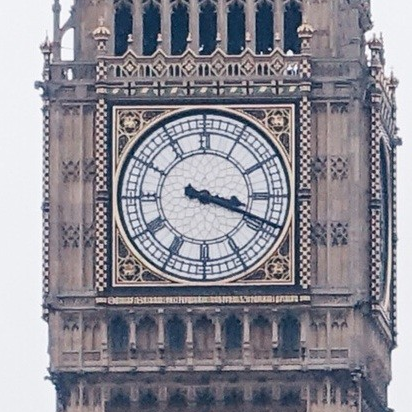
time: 3:18
